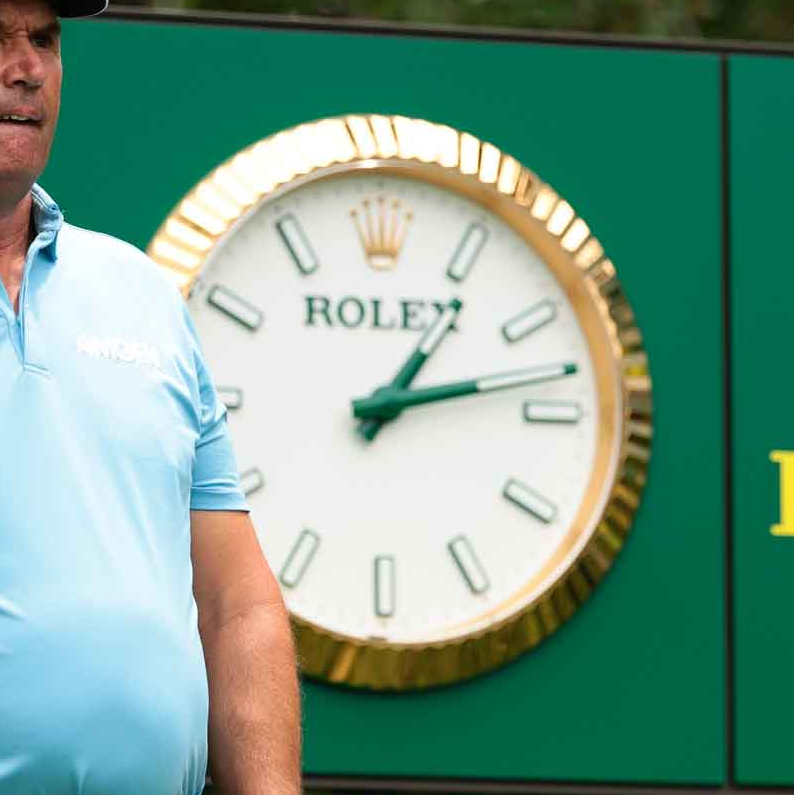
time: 1:12
